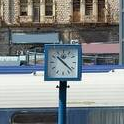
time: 10:21
